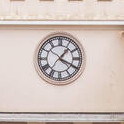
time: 1:19
